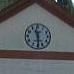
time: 11:29
